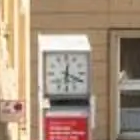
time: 6:19
